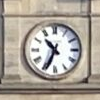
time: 10:34
